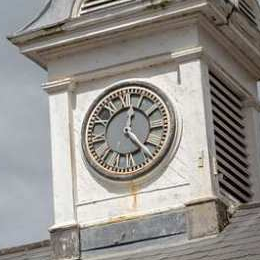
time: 12:23
